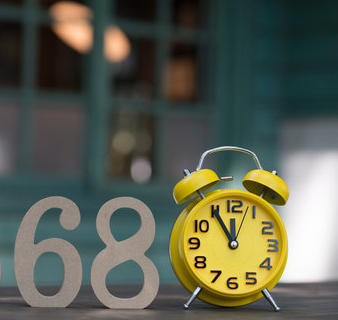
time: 11:54
